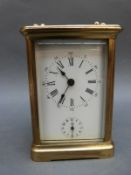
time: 10:36
